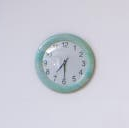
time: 7:30
